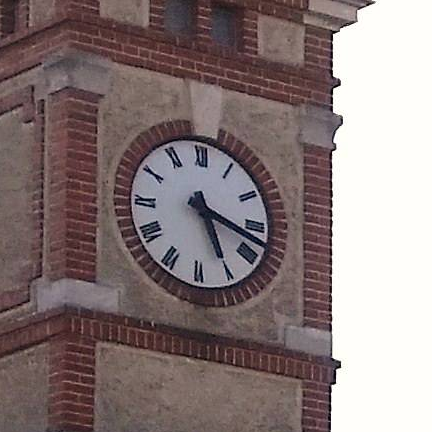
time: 5:17
